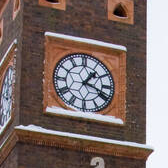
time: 1:18
